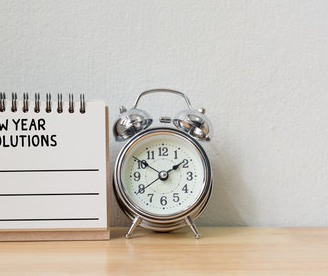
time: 1:50
